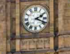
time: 2:18
